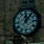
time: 12:06
